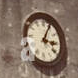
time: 3:04
